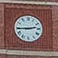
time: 2:44
